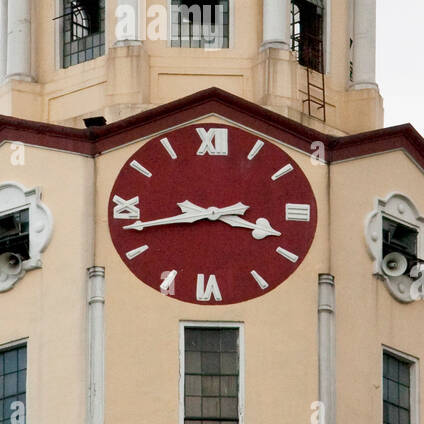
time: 3:43
